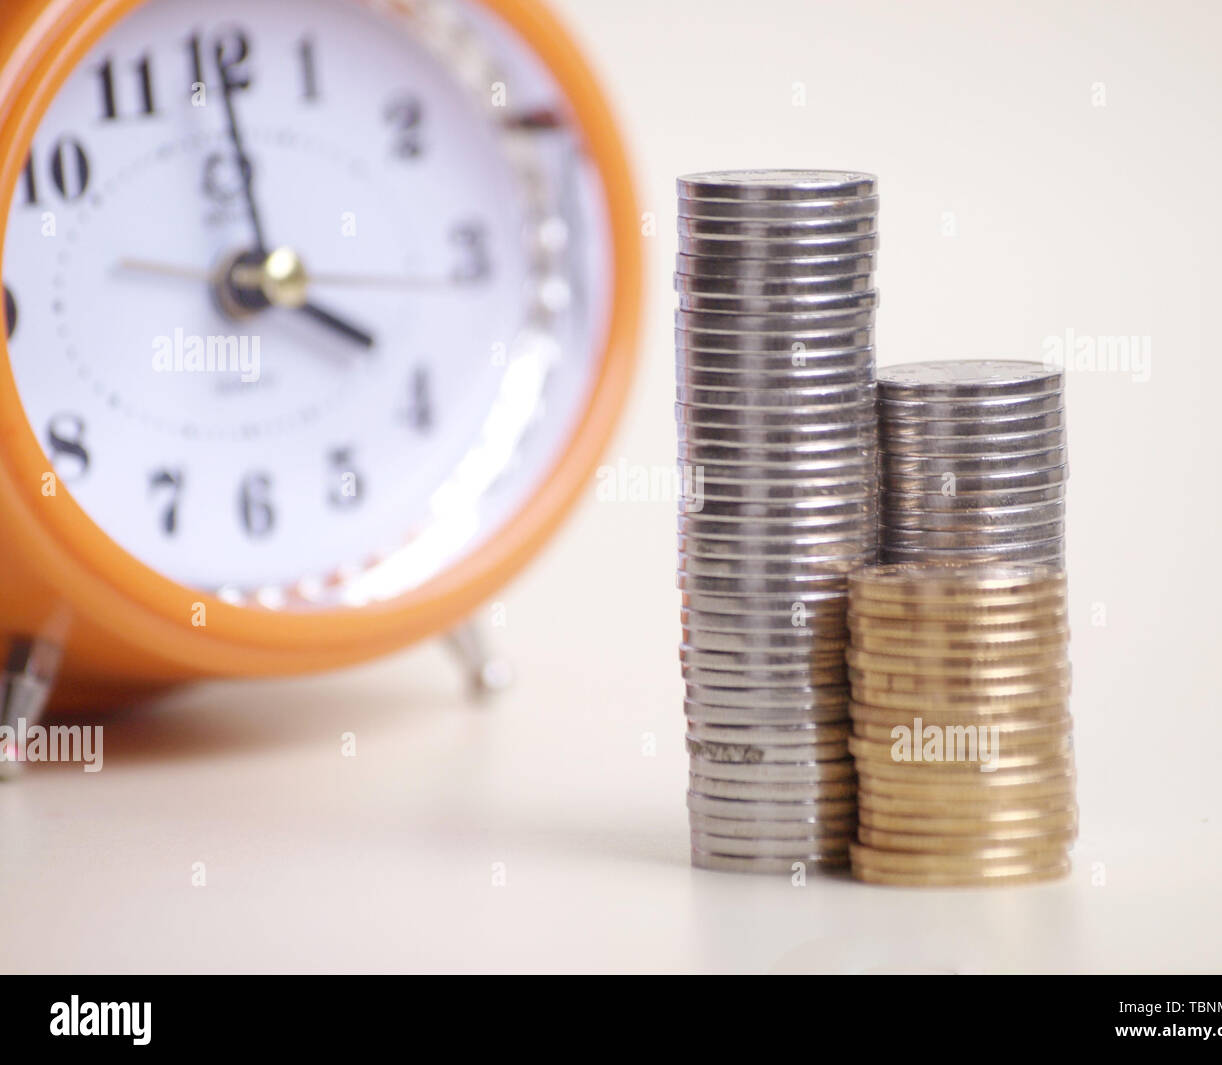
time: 3:59
